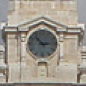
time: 2:53
